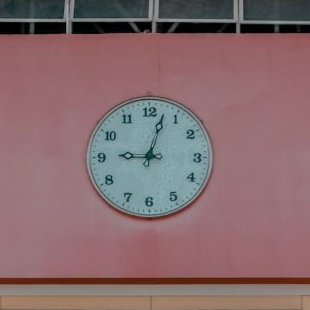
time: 9:02
